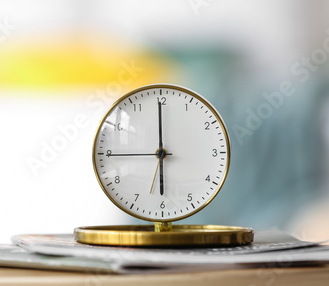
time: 5:59
